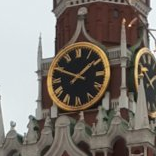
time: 1:49
